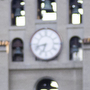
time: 6:42
